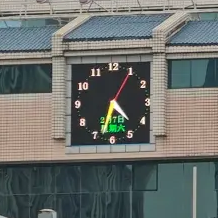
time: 4:33
